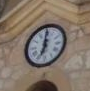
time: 7:00
